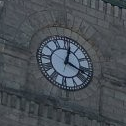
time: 12:18
